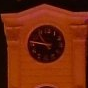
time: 10:46
